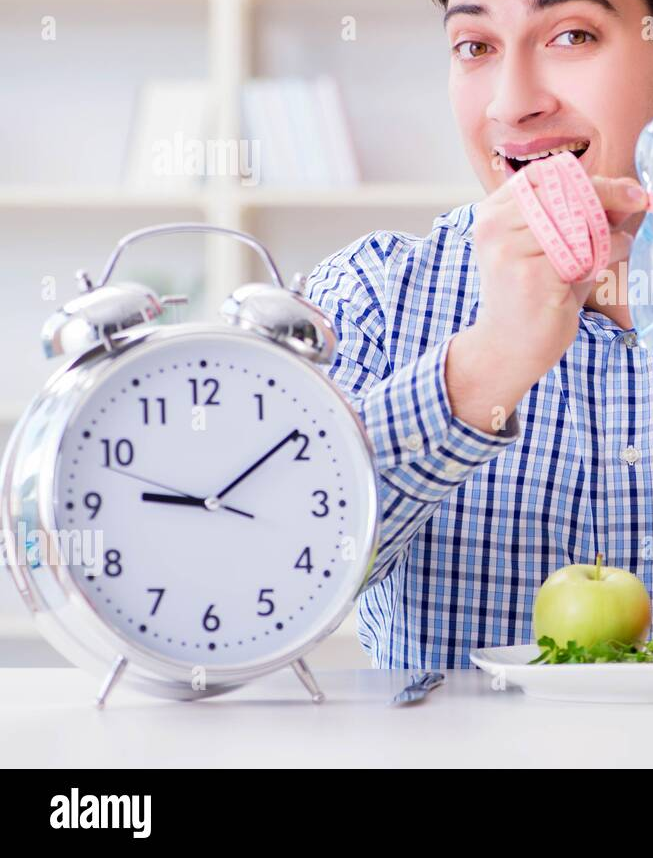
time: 9:09
